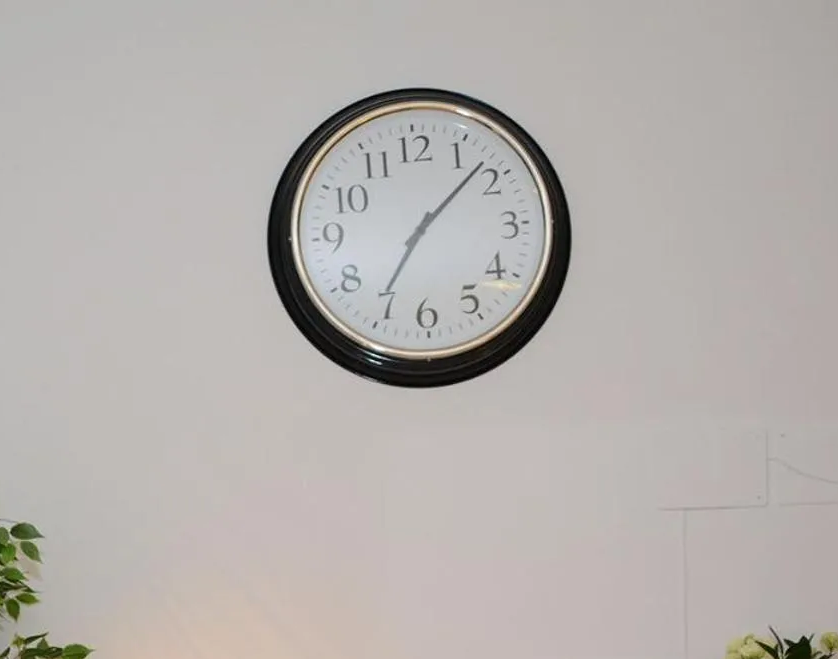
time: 7:08
